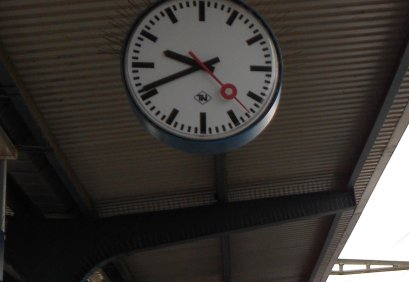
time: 9:41
